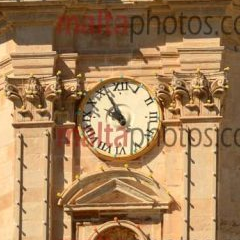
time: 9:55
